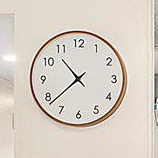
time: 10:38
